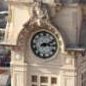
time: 3:11
